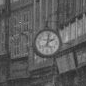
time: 2:02
